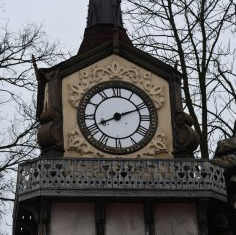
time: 8:11
